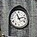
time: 11:12
